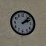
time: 2:07
